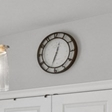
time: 12:33
